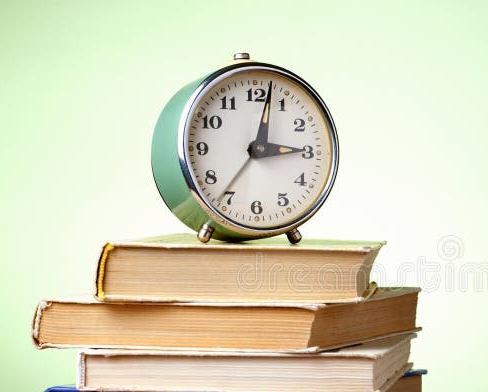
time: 3:02
